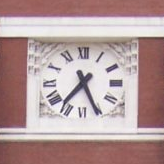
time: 7:25
